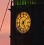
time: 5:08
